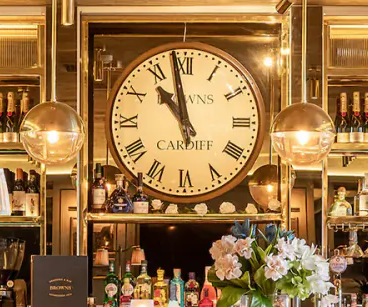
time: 10:58
